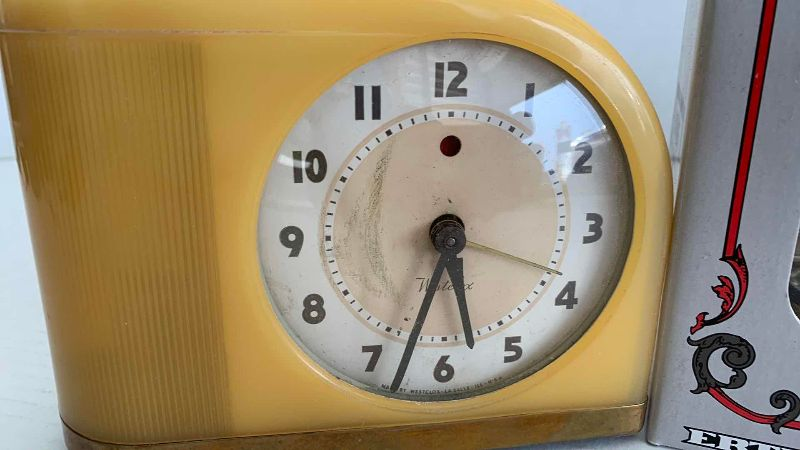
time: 5:33
